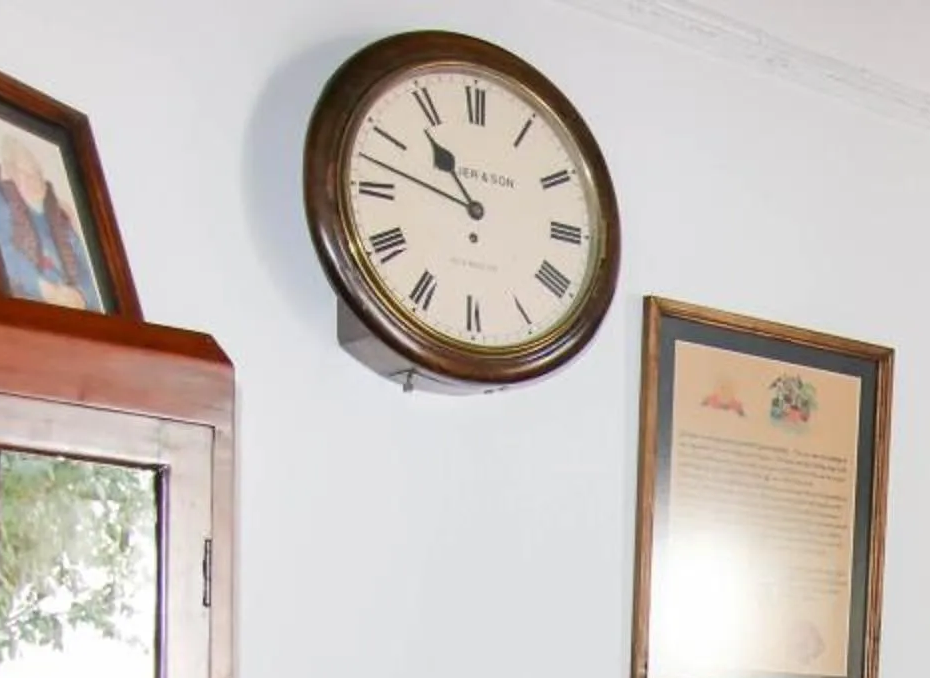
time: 10:47
